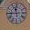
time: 11:44
